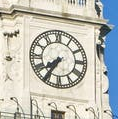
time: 7:35
